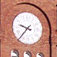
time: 9:36
